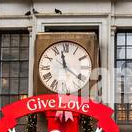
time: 11:21
